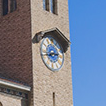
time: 2:42
